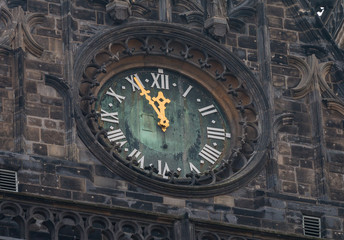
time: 11:55
